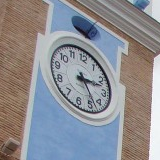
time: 2:23
